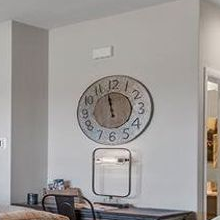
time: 11:58
